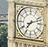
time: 7:12
